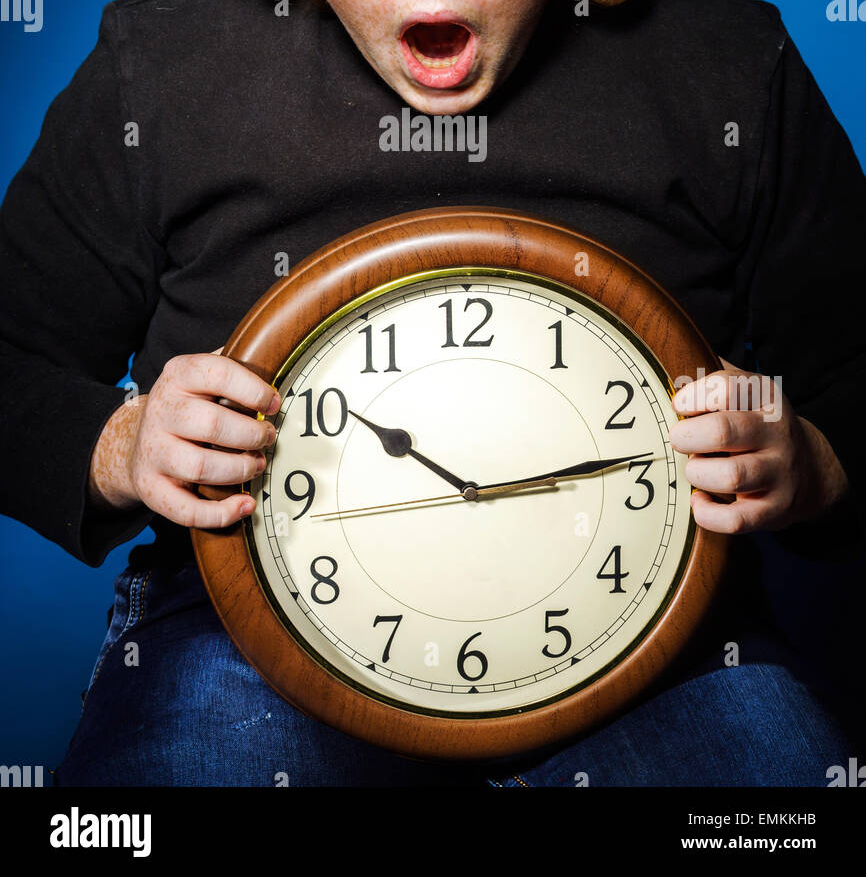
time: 10:13
